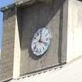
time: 12:18
